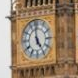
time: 4:59
